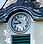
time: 8:51
